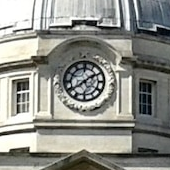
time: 1:39
